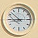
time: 8:52
